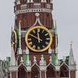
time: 11:49
